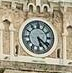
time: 5:21
